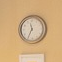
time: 11:34
